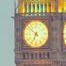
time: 6:52
